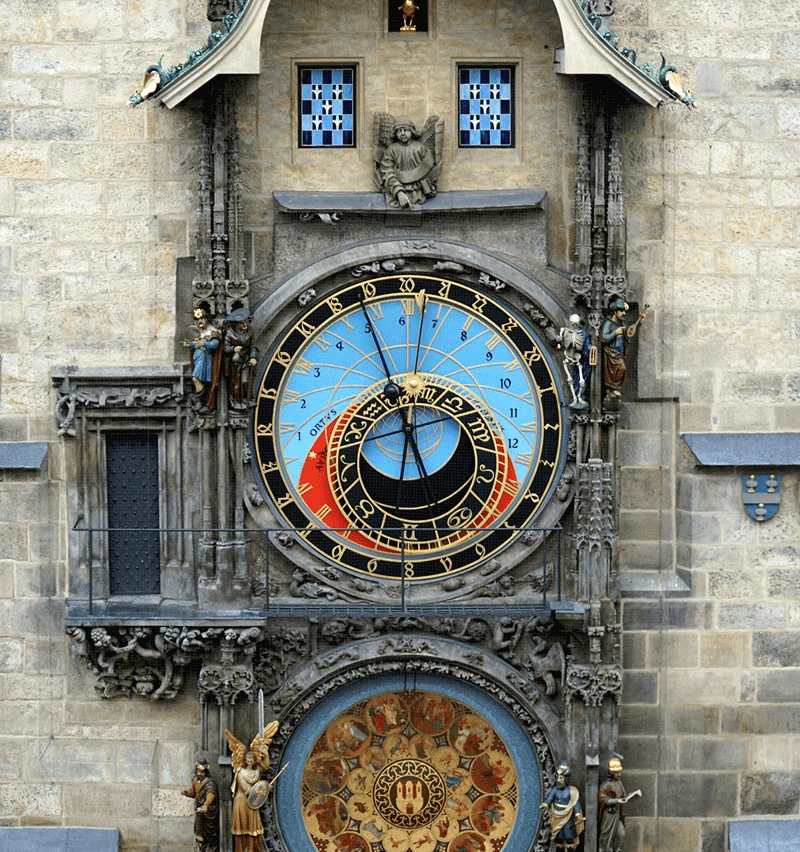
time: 11:56
